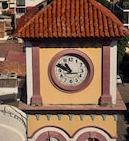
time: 10:48
